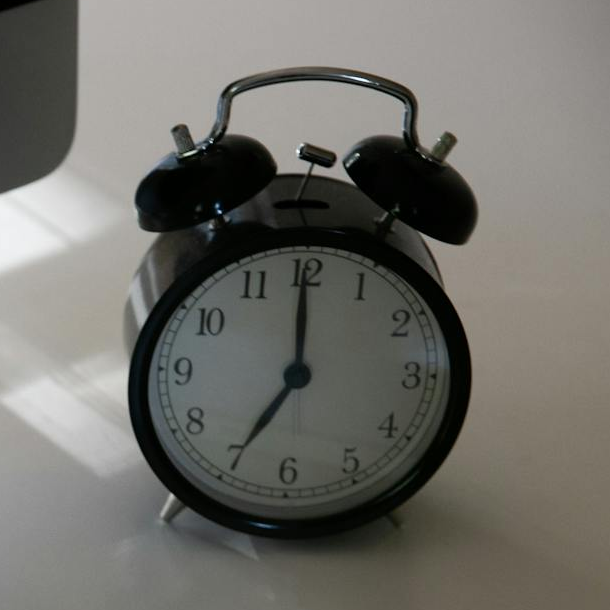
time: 7:00
